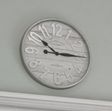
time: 10:14
